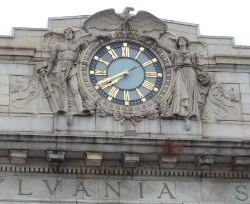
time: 7:40
